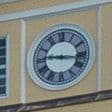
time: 9:16
